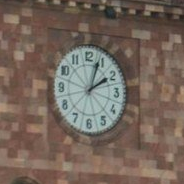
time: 2:03
